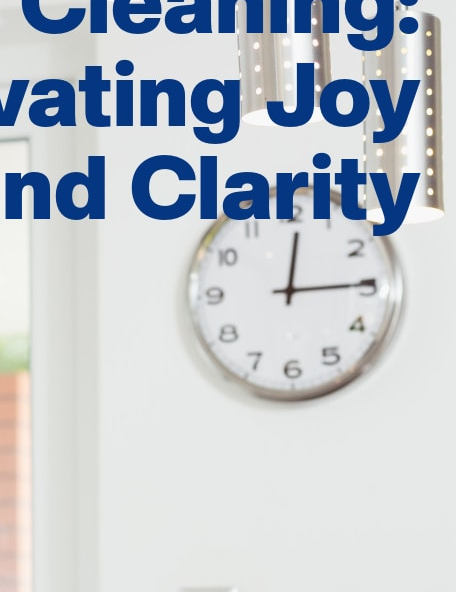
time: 12:14
